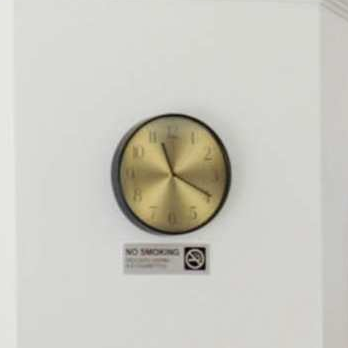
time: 11:19
